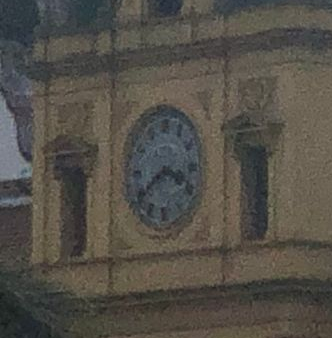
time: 3:39
